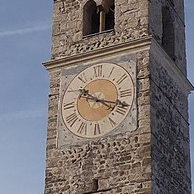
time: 10:18
